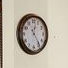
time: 12:24
